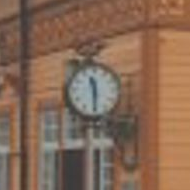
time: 11:29
